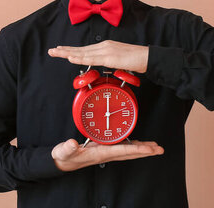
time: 6:00
